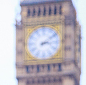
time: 3:09
